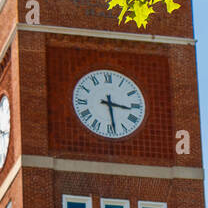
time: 3:28
